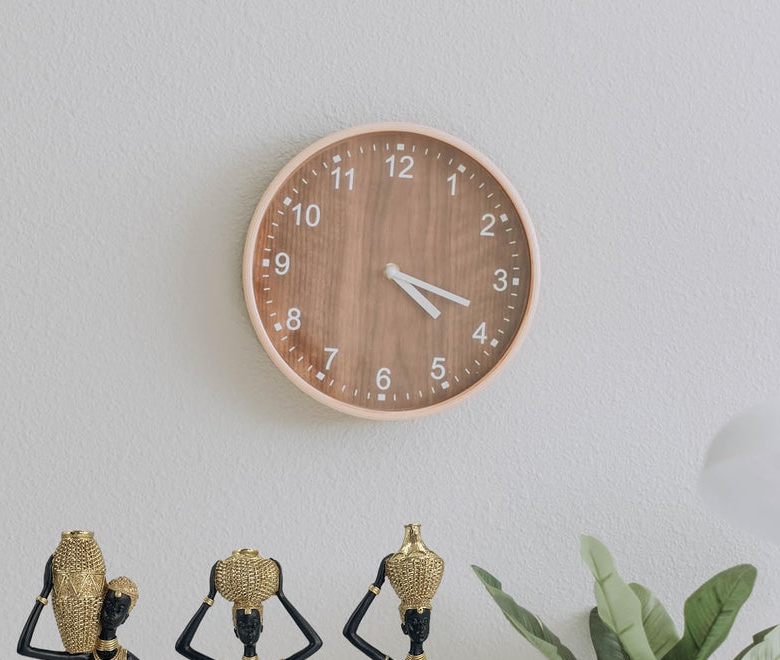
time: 4:18
